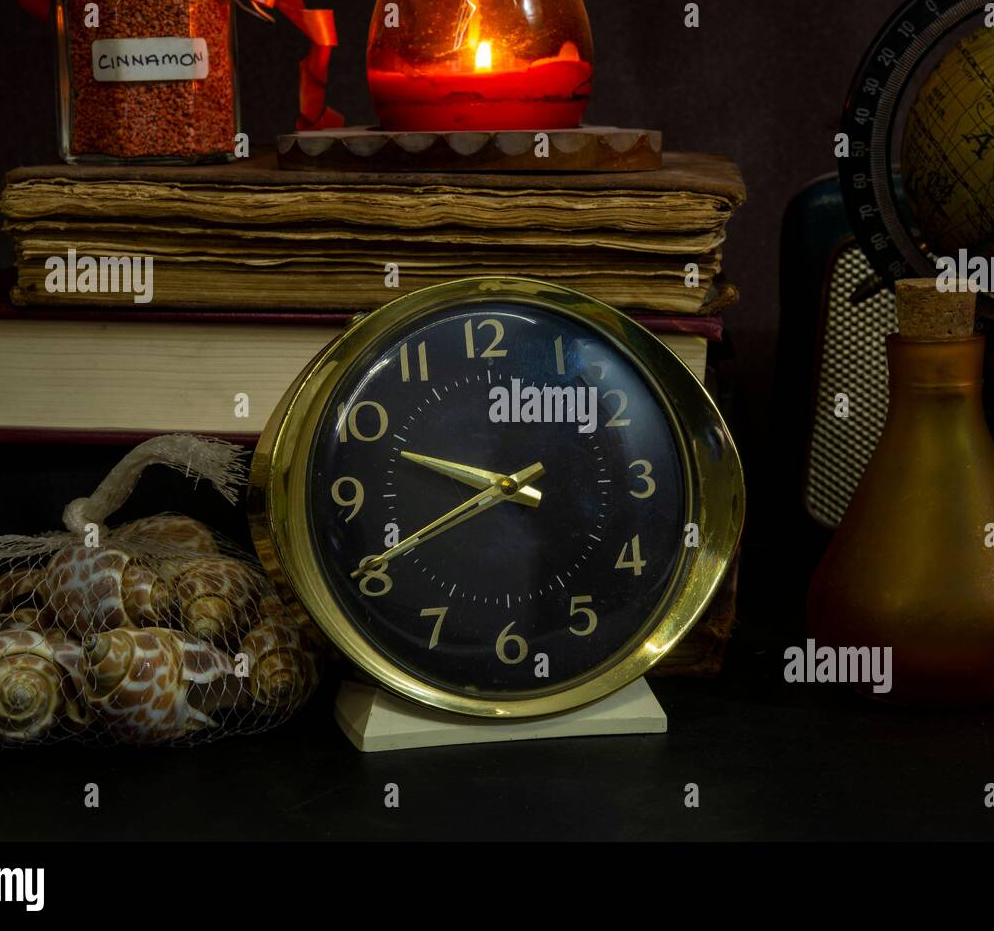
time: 9:40
